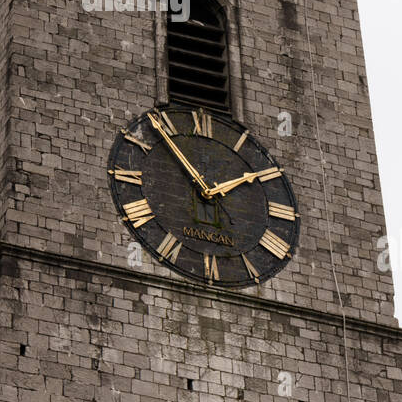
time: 1:53
